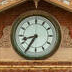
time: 8:35
